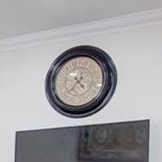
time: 10:37
